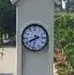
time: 2:40
